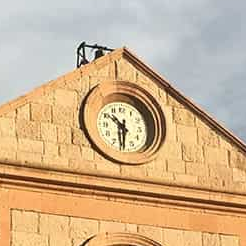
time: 10:30
